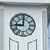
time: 9:00
